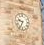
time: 9:34
